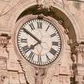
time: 7:50
